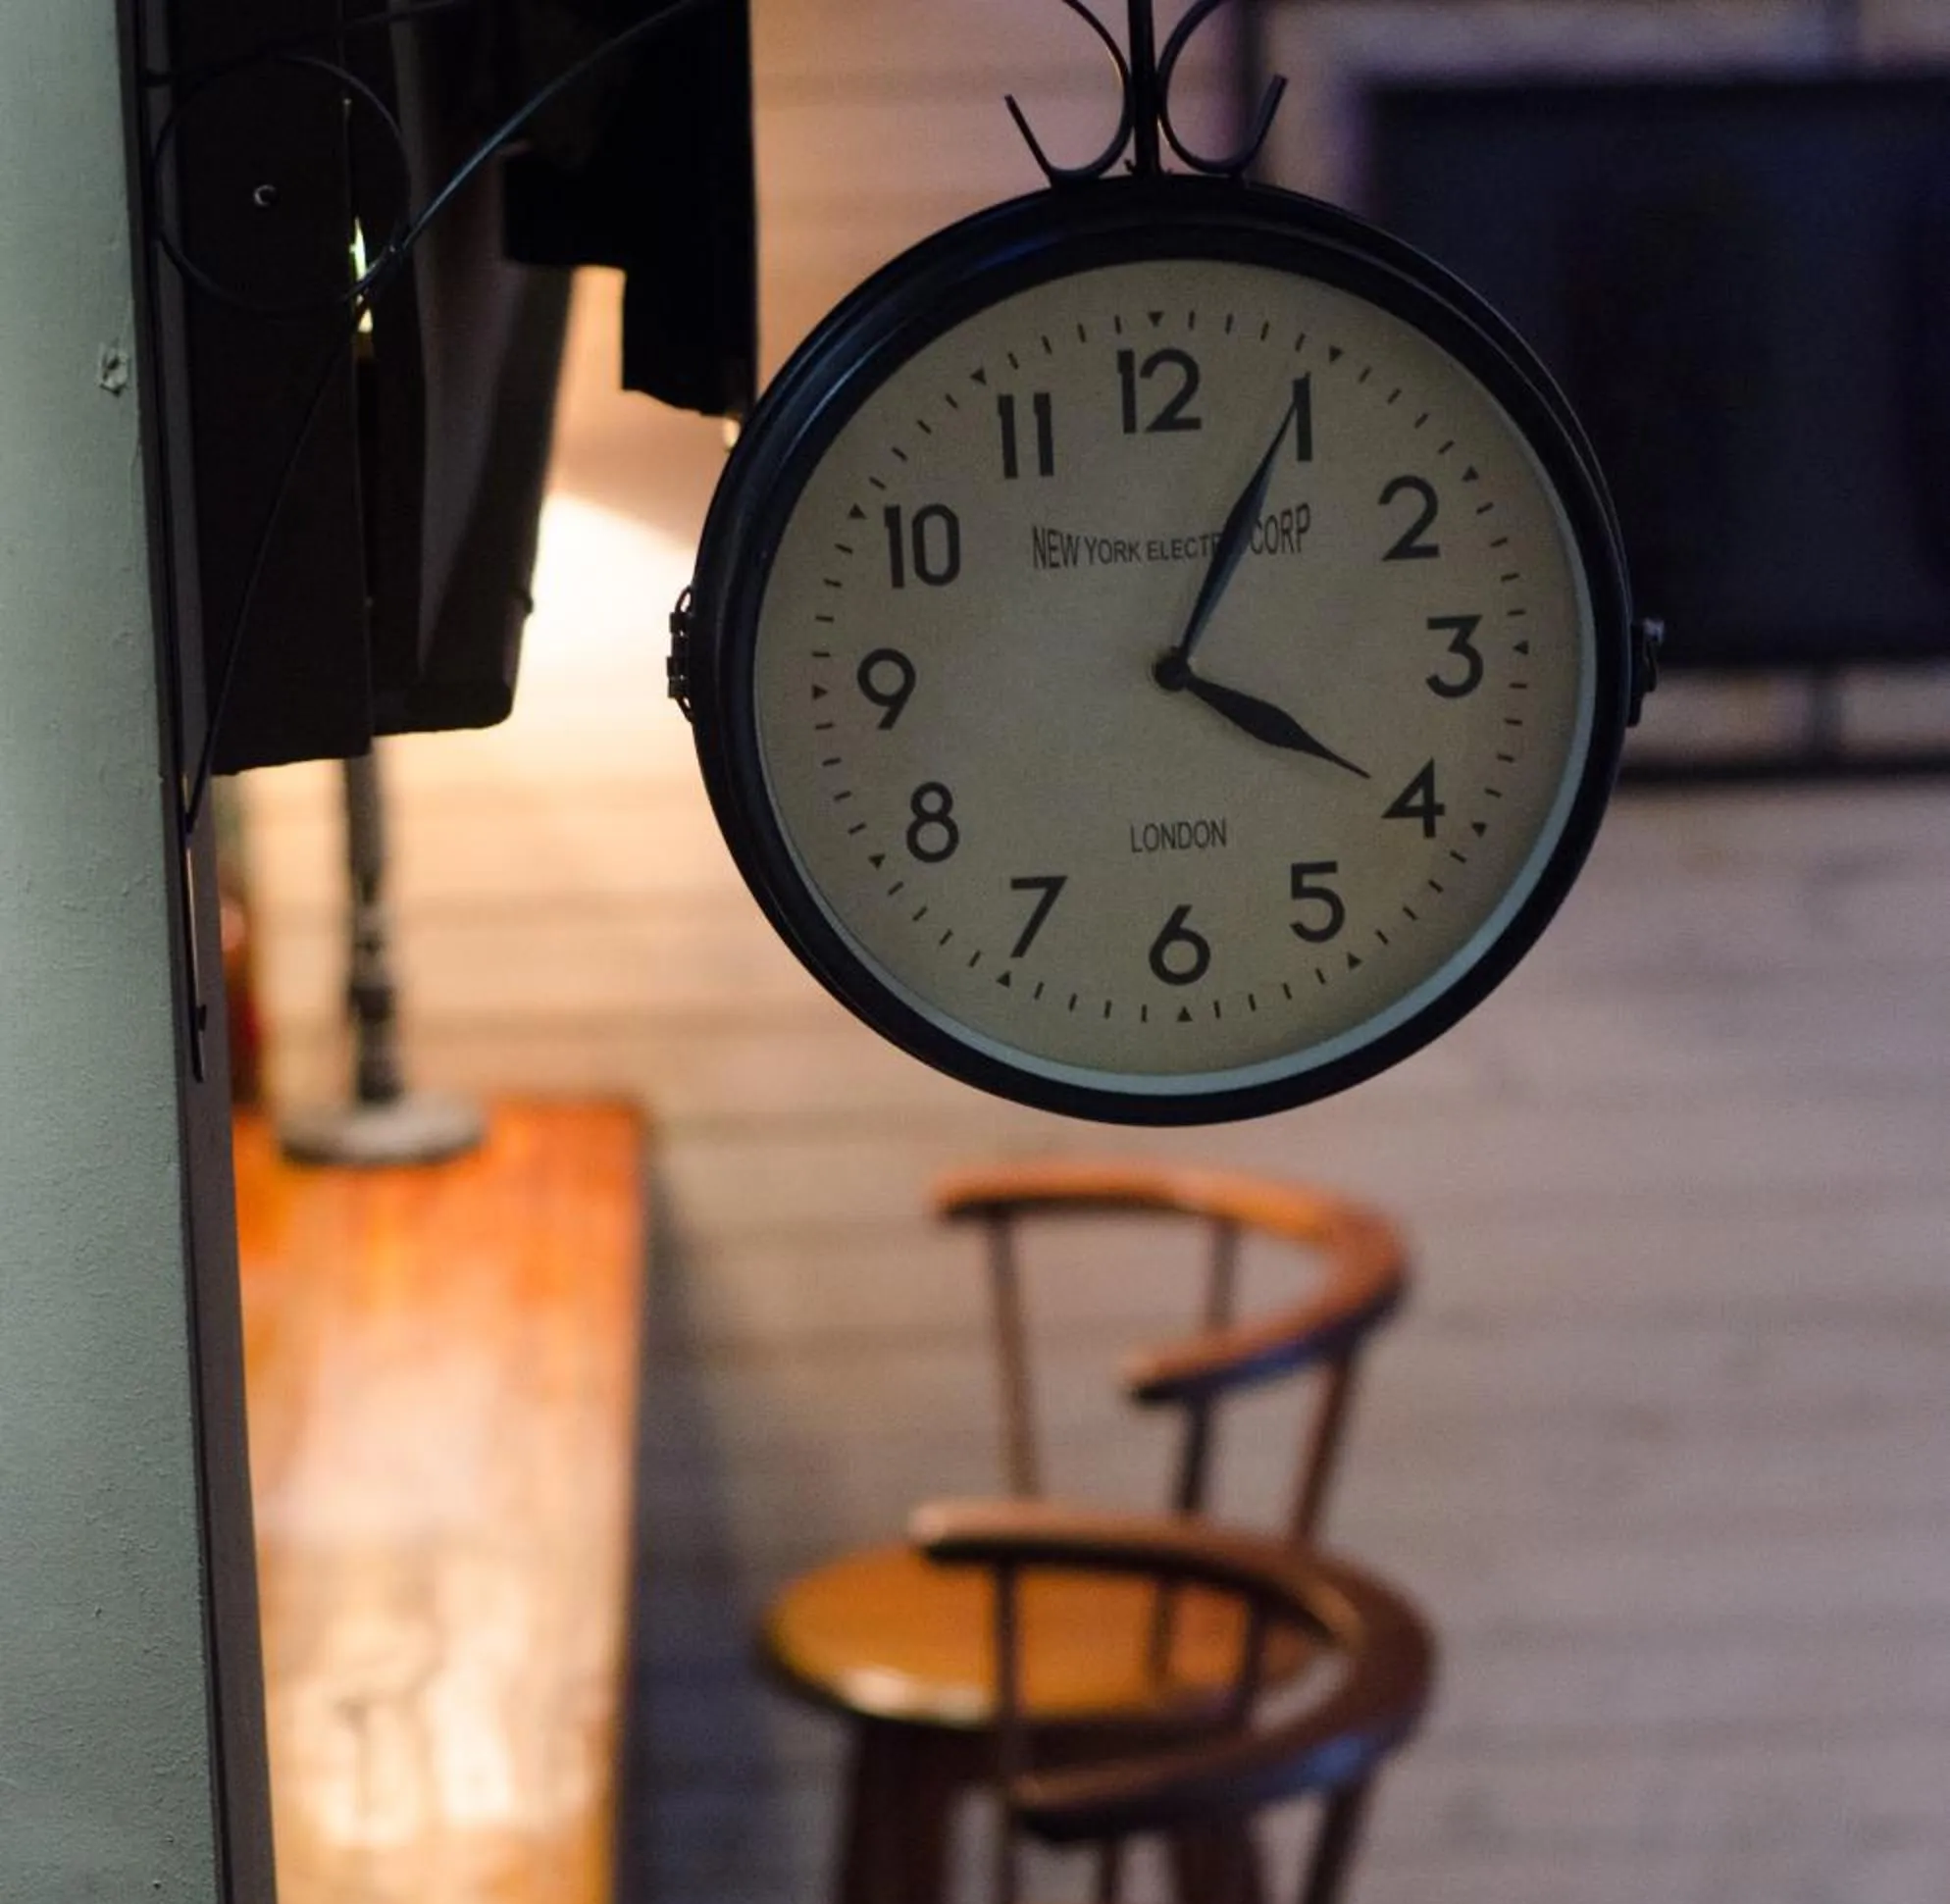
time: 4:04
